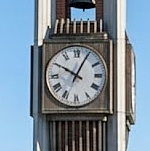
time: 10:04
